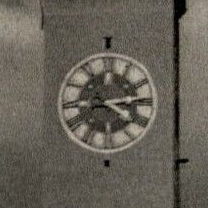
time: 4:13
